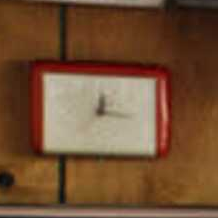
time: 12:16
